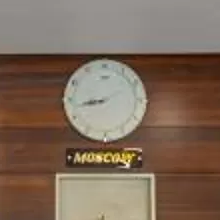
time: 8:43
